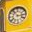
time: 2:53
